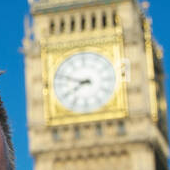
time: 7:48
